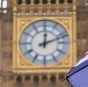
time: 12:11
